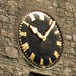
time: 10:06
